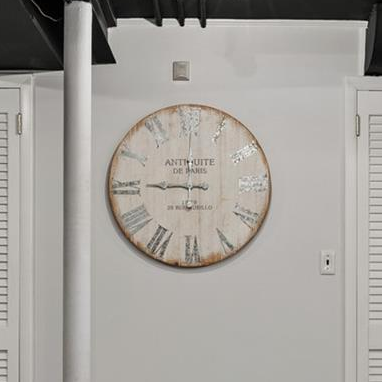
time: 9:01
